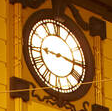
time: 9:16
